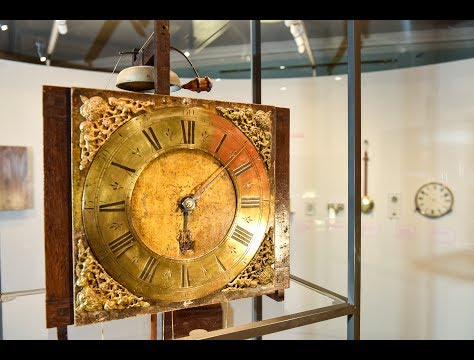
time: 6:08
